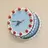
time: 7:46
